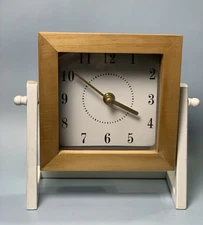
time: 3:51
